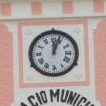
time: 12:03
